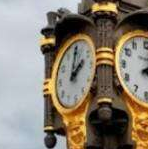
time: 2:01
